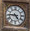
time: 4:45
